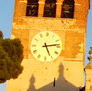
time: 5:13
